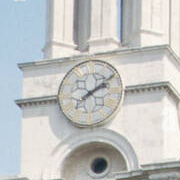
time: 2:09
